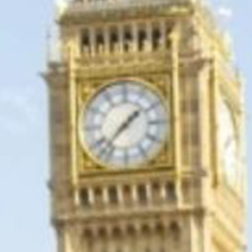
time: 1:37
